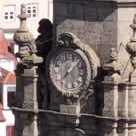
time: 8:07
